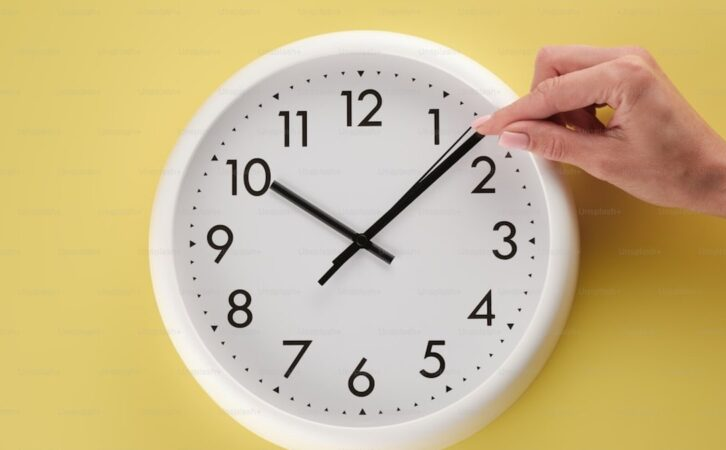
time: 10:07
